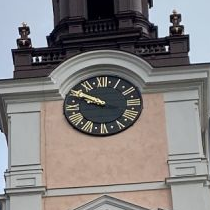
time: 9:50
